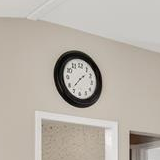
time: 1:36
